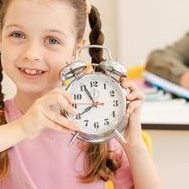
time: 7:55
